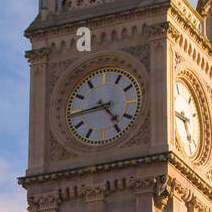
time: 4:43
